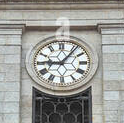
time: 9:06
